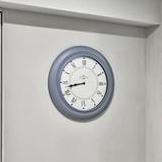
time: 8:42
